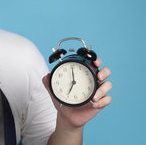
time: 7:00
